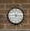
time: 7:15
